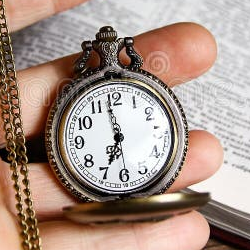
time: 6:58
